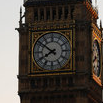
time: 7:51
